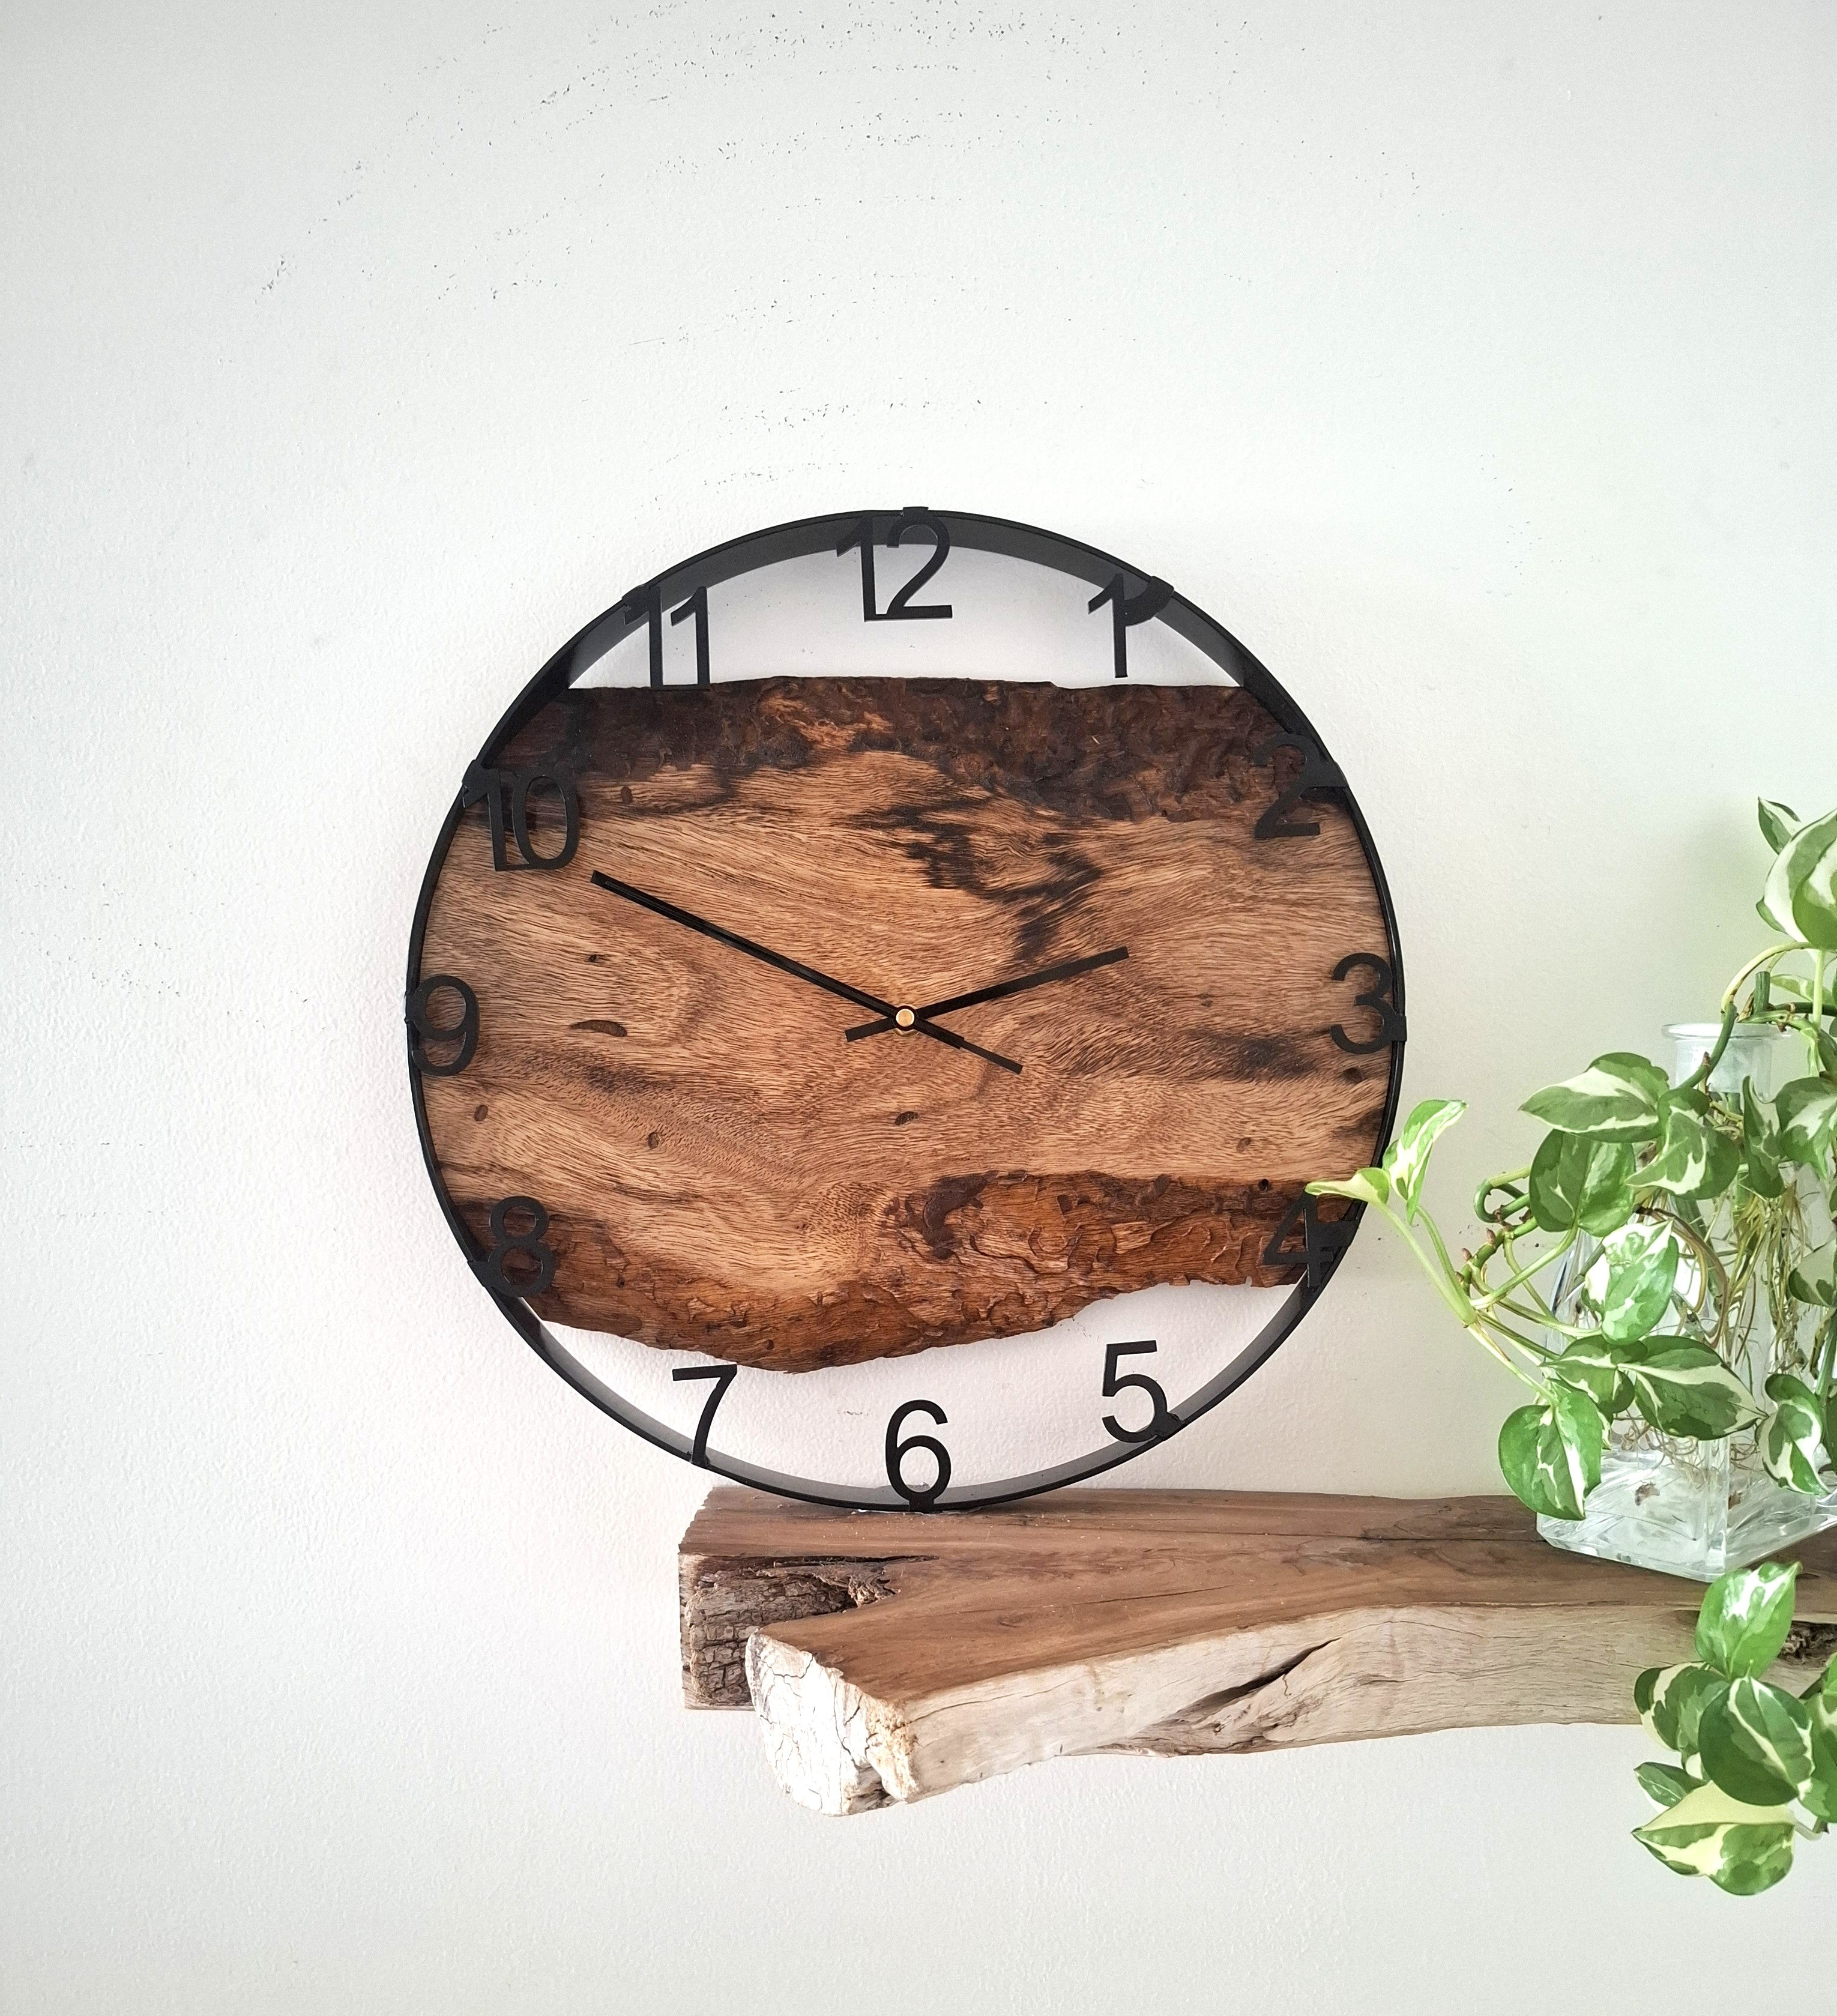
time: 1:49
